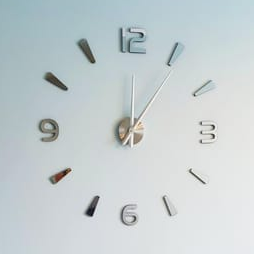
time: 12:06
